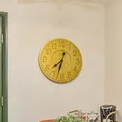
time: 7:32
